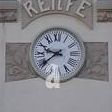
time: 9:39
